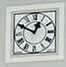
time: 12:49
